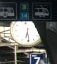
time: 6:29
